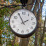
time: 1:55
